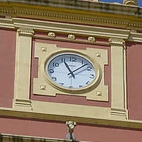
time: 11:07
